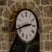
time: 2:42
